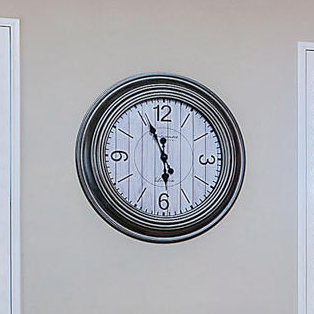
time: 5:55
